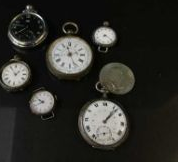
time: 1:06
